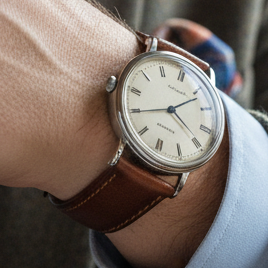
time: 2:23
